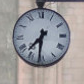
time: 7:31
